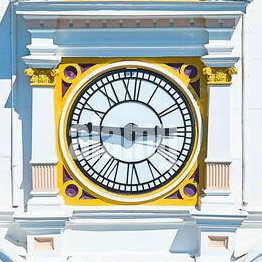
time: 2:45
